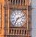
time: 7:11
